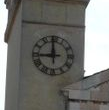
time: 8:59
